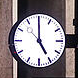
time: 4:59
